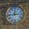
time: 11:44
